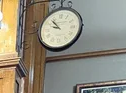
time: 9:53
